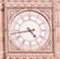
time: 4:43
